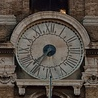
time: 7:35
